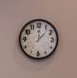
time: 12:07
